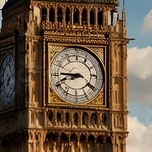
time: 8:45
